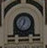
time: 12:35
